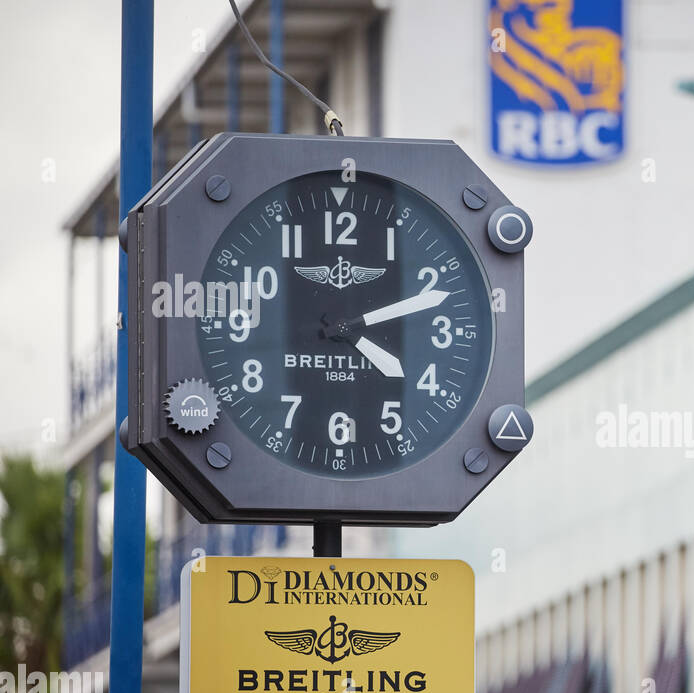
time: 4:11
